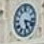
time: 5:17
